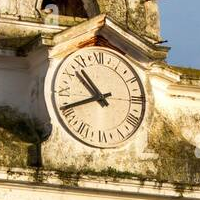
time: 10:41
